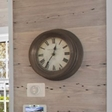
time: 12:35
